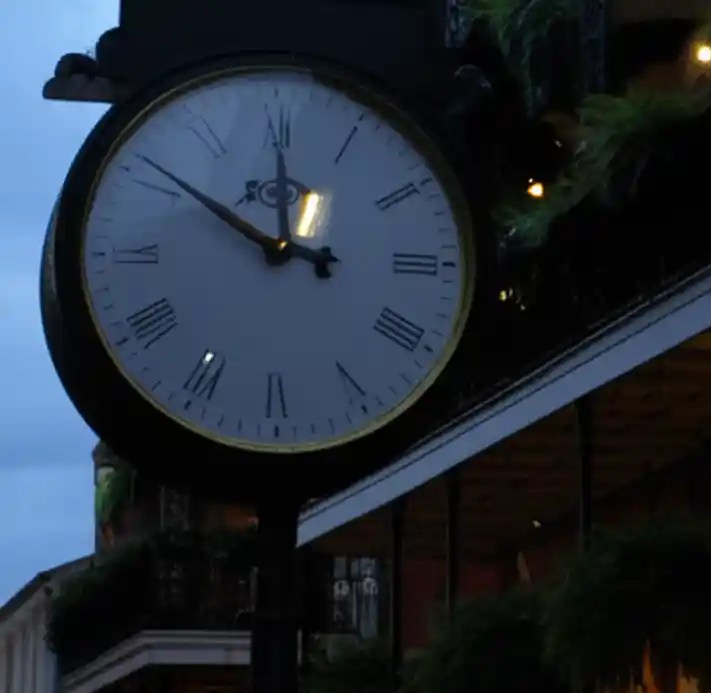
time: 12:50
